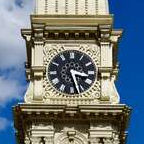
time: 3:27
